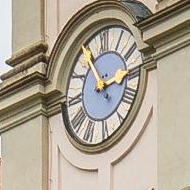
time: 11:13
